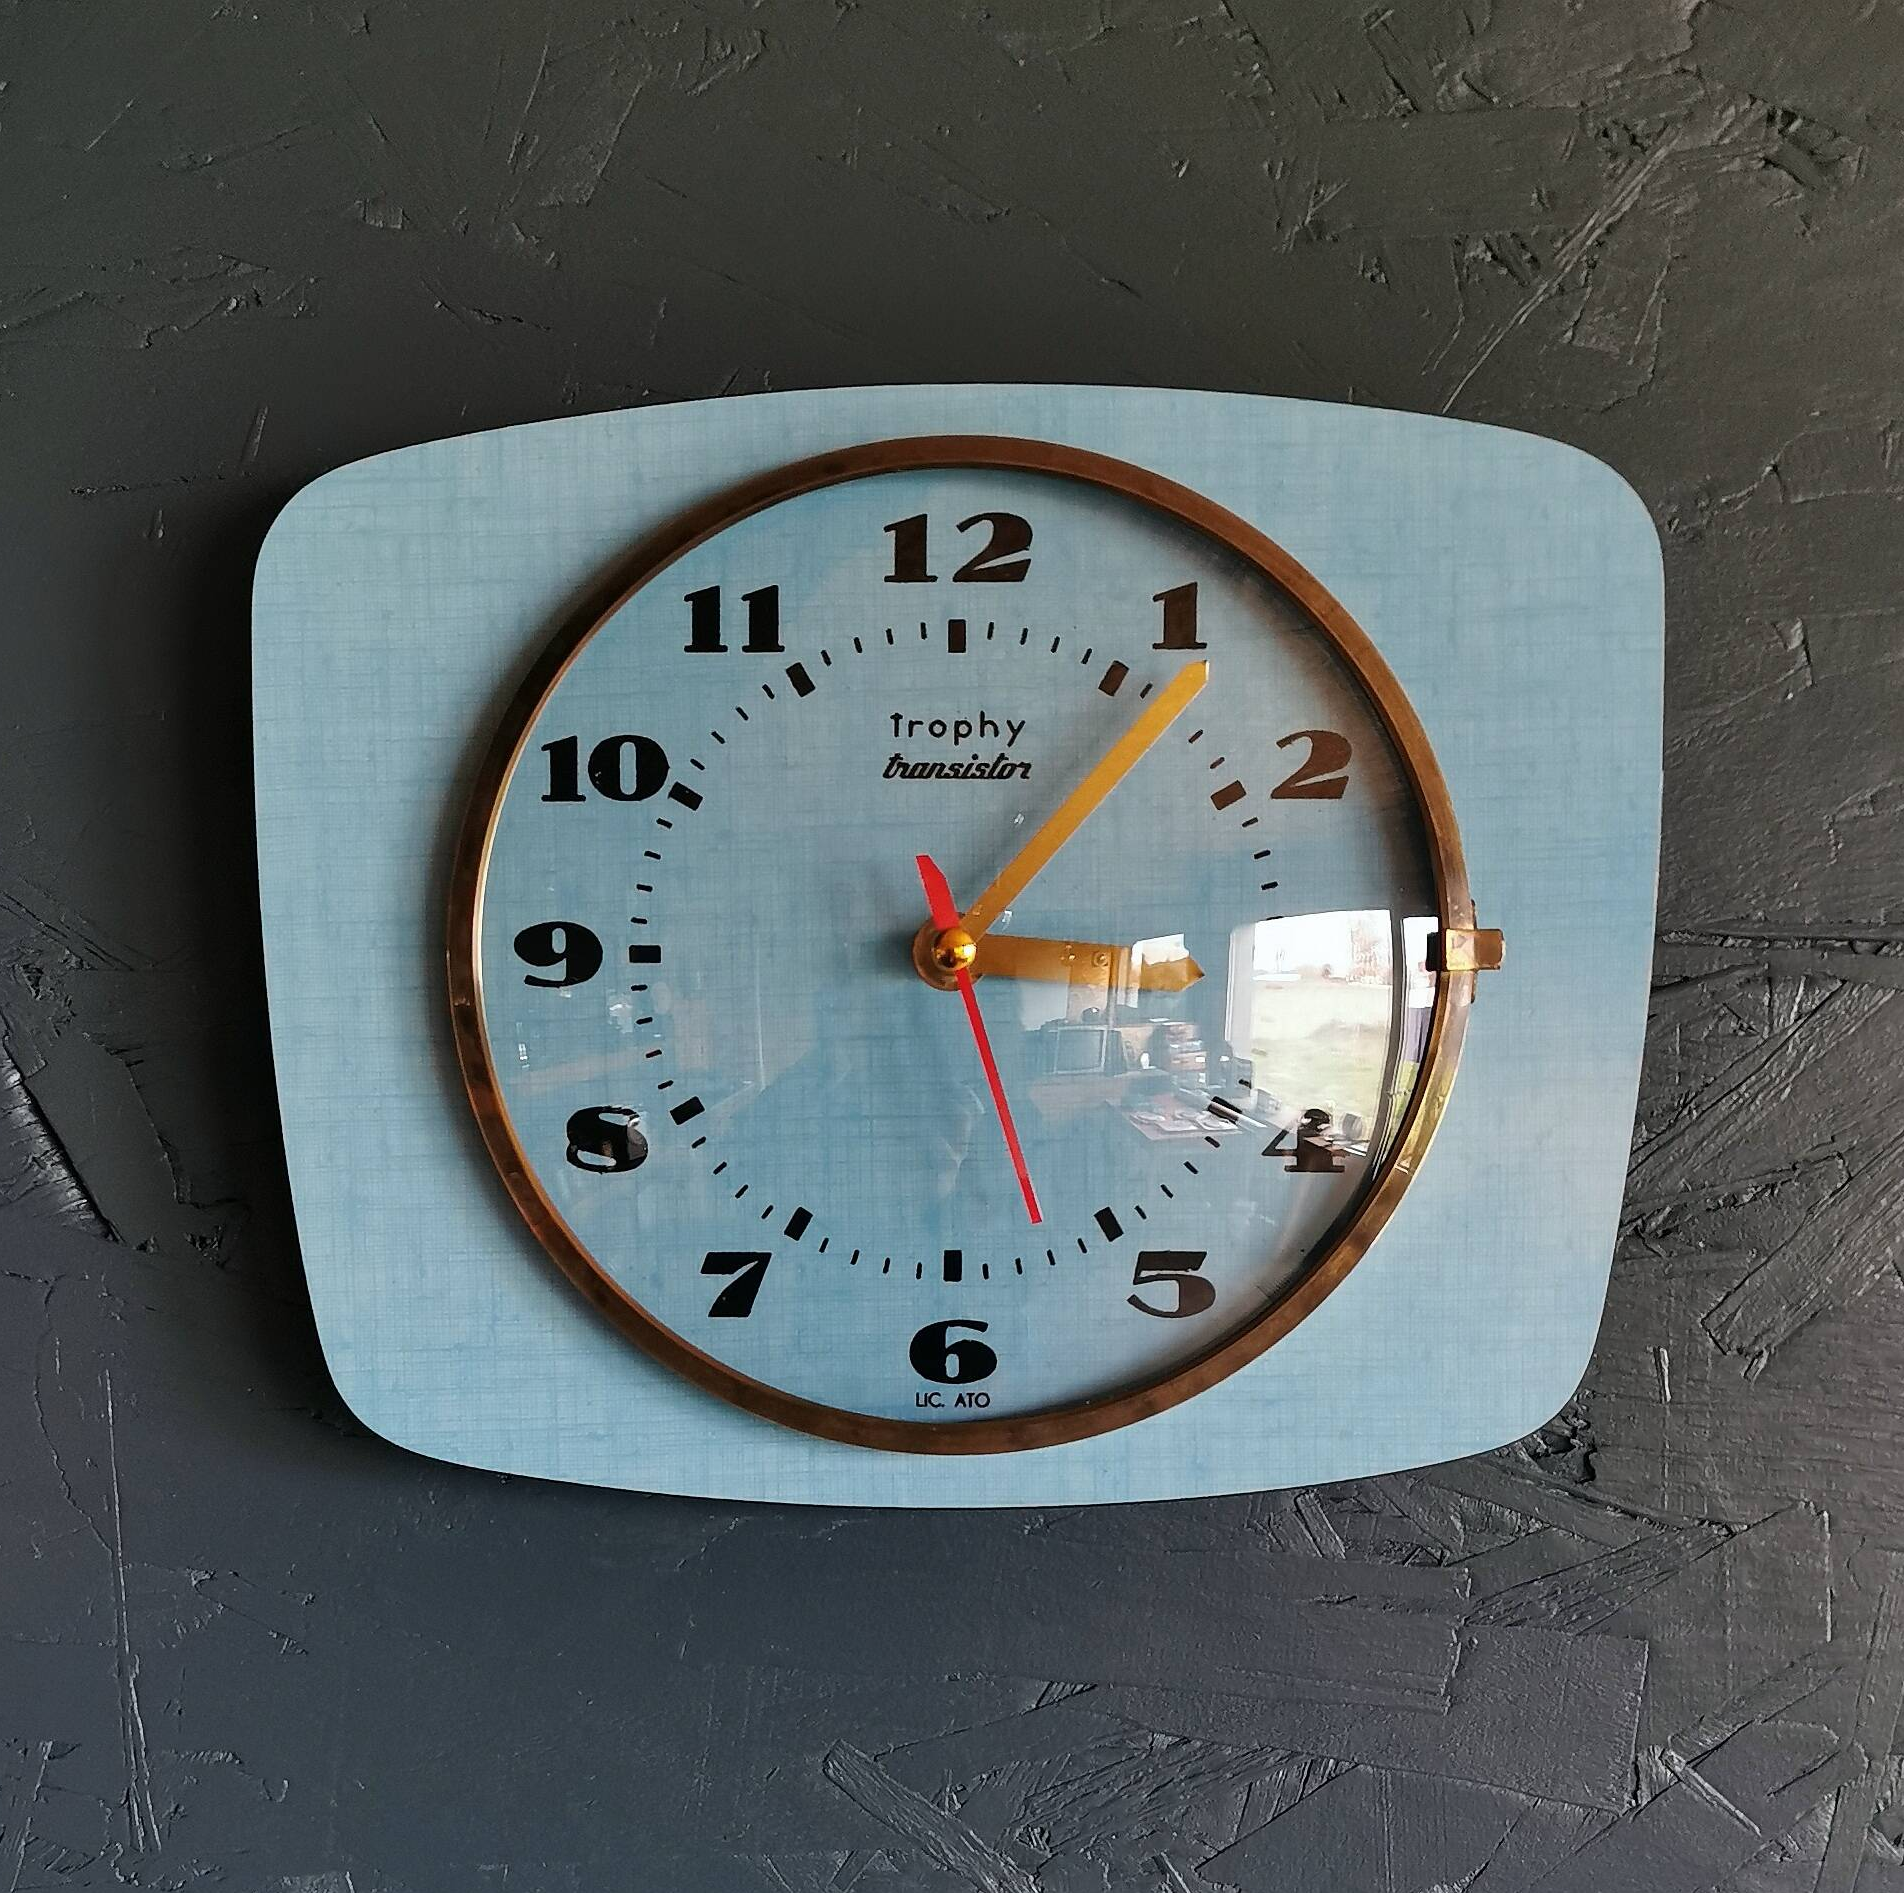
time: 3:06
